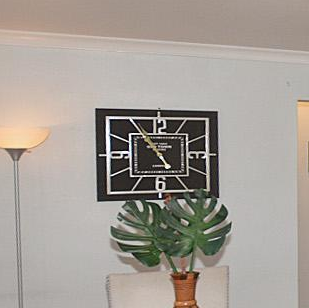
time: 4:54
